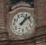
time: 1:08
